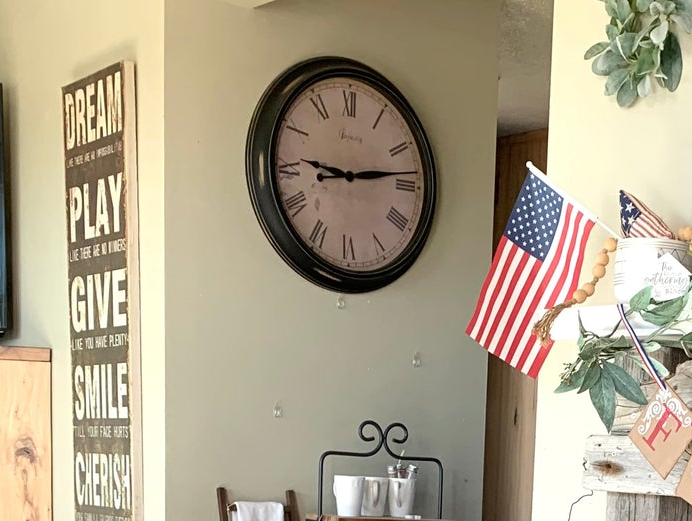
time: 9:13
